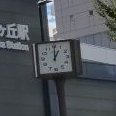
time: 1:00
